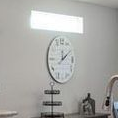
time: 12:09
